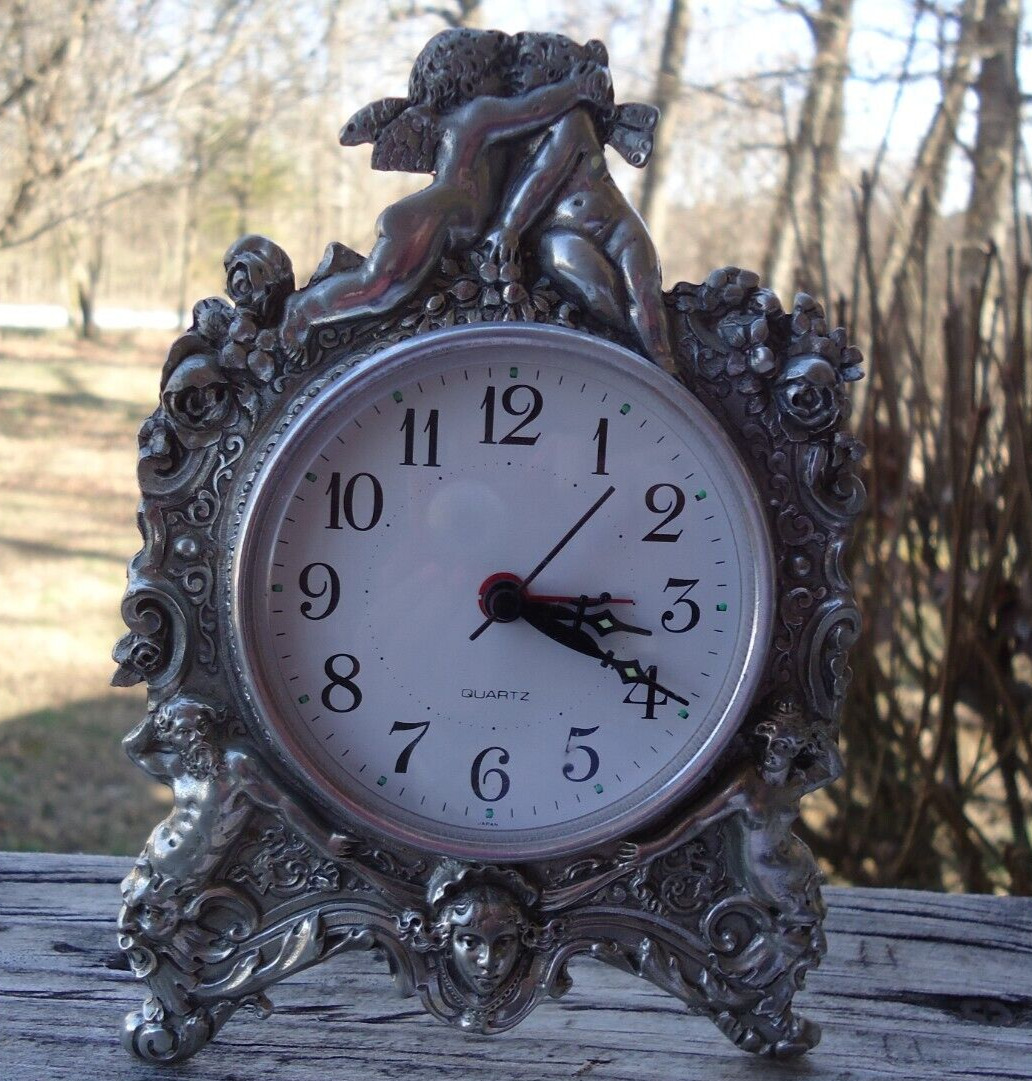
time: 3:19
